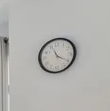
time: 11:20
